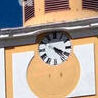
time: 4:19
